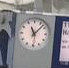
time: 11:07
